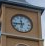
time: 11:43
